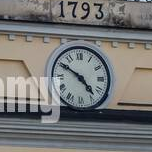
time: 4:50
